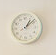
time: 1:08
